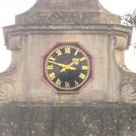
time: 1:47
